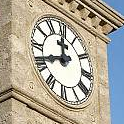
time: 11:41
